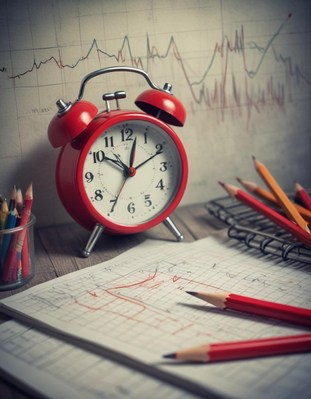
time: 10:02
